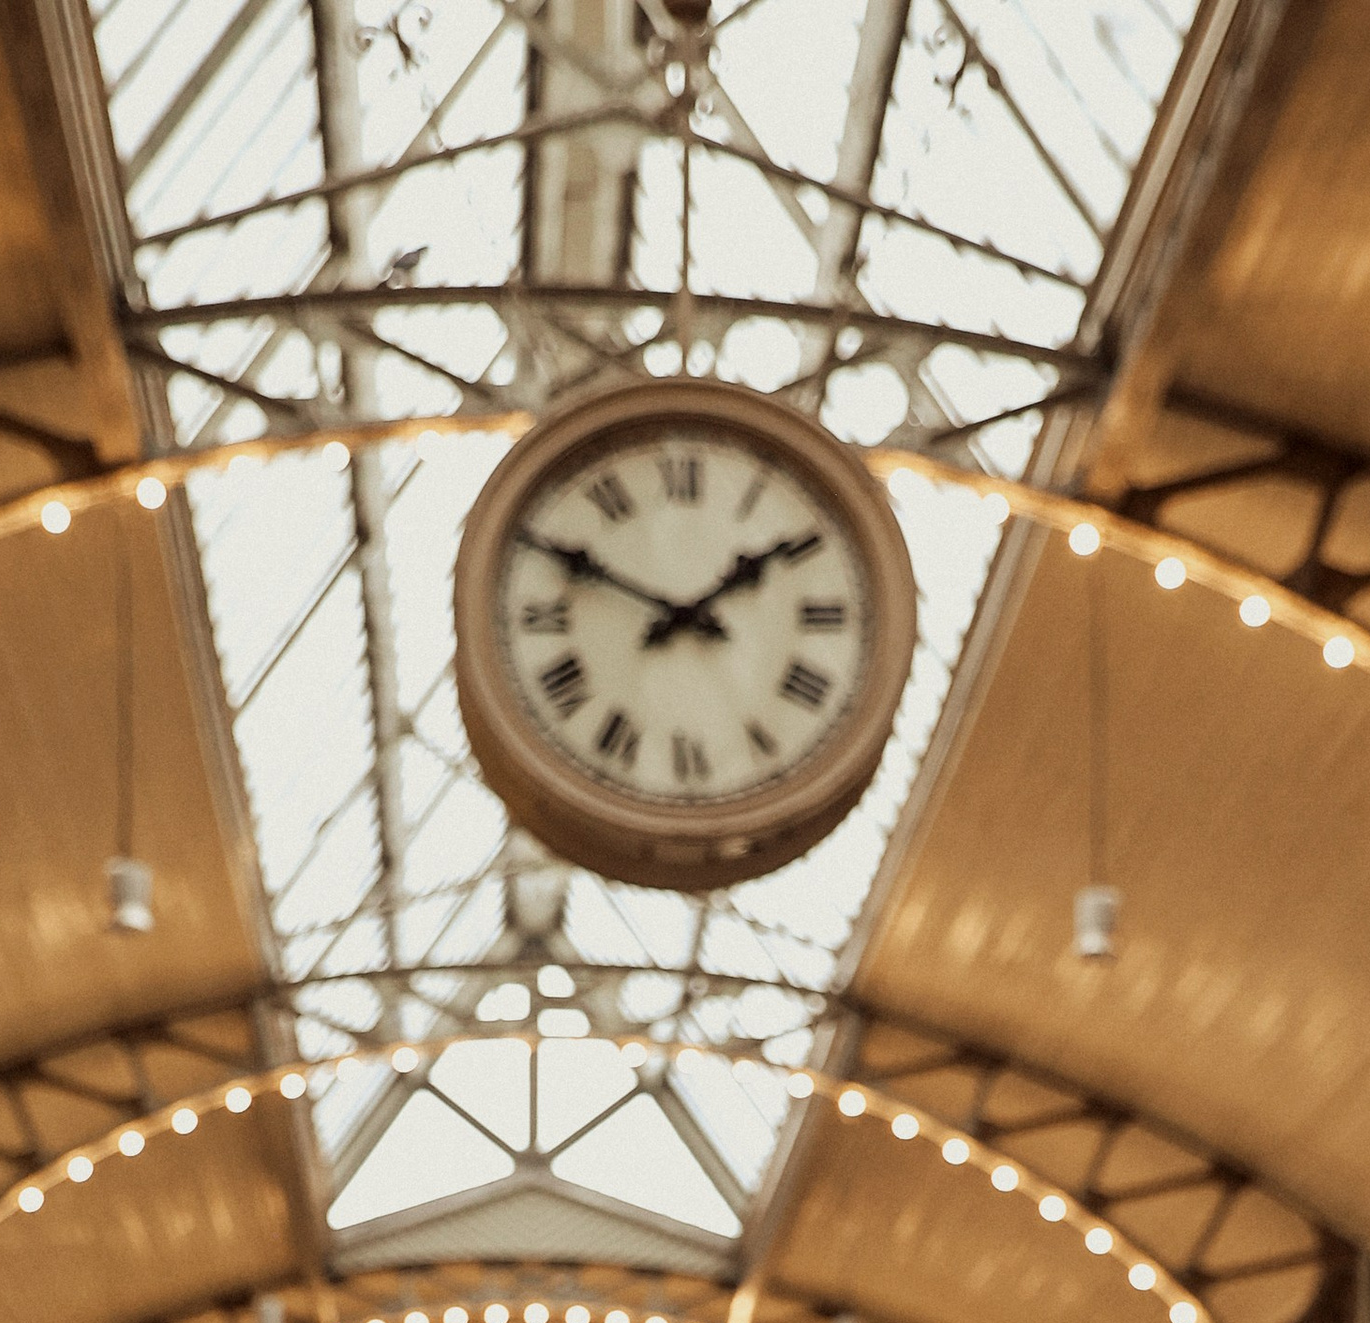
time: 1:50
